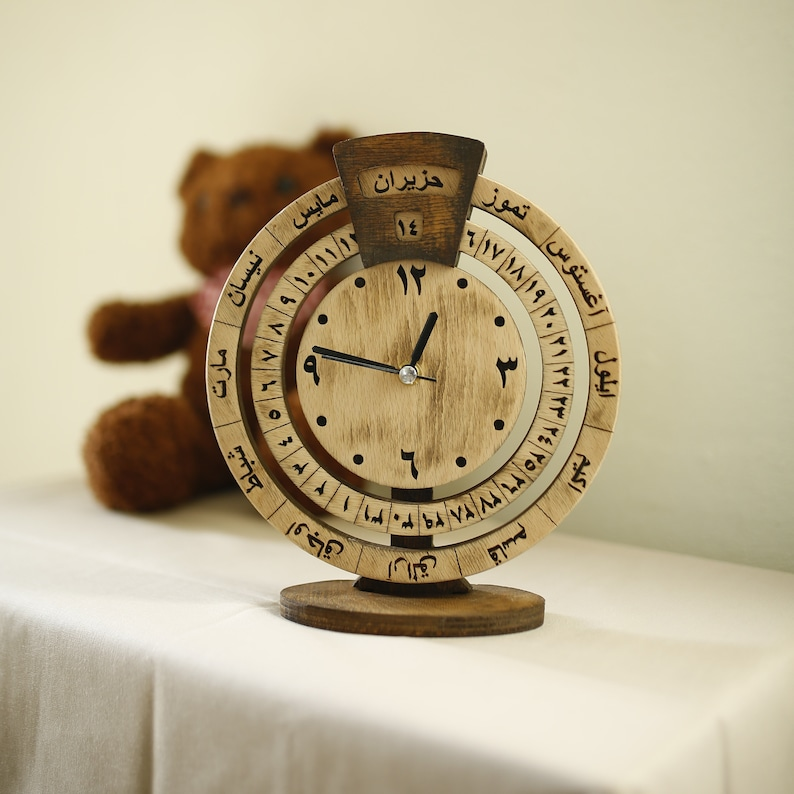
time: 12:46
